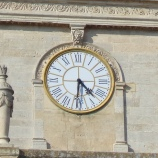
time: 4:31
